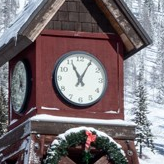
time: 11:05
